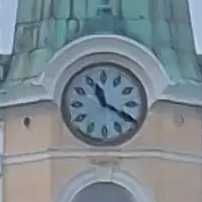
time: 11:19
